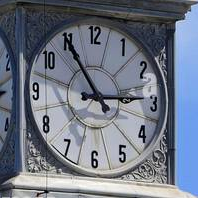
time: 2:54
